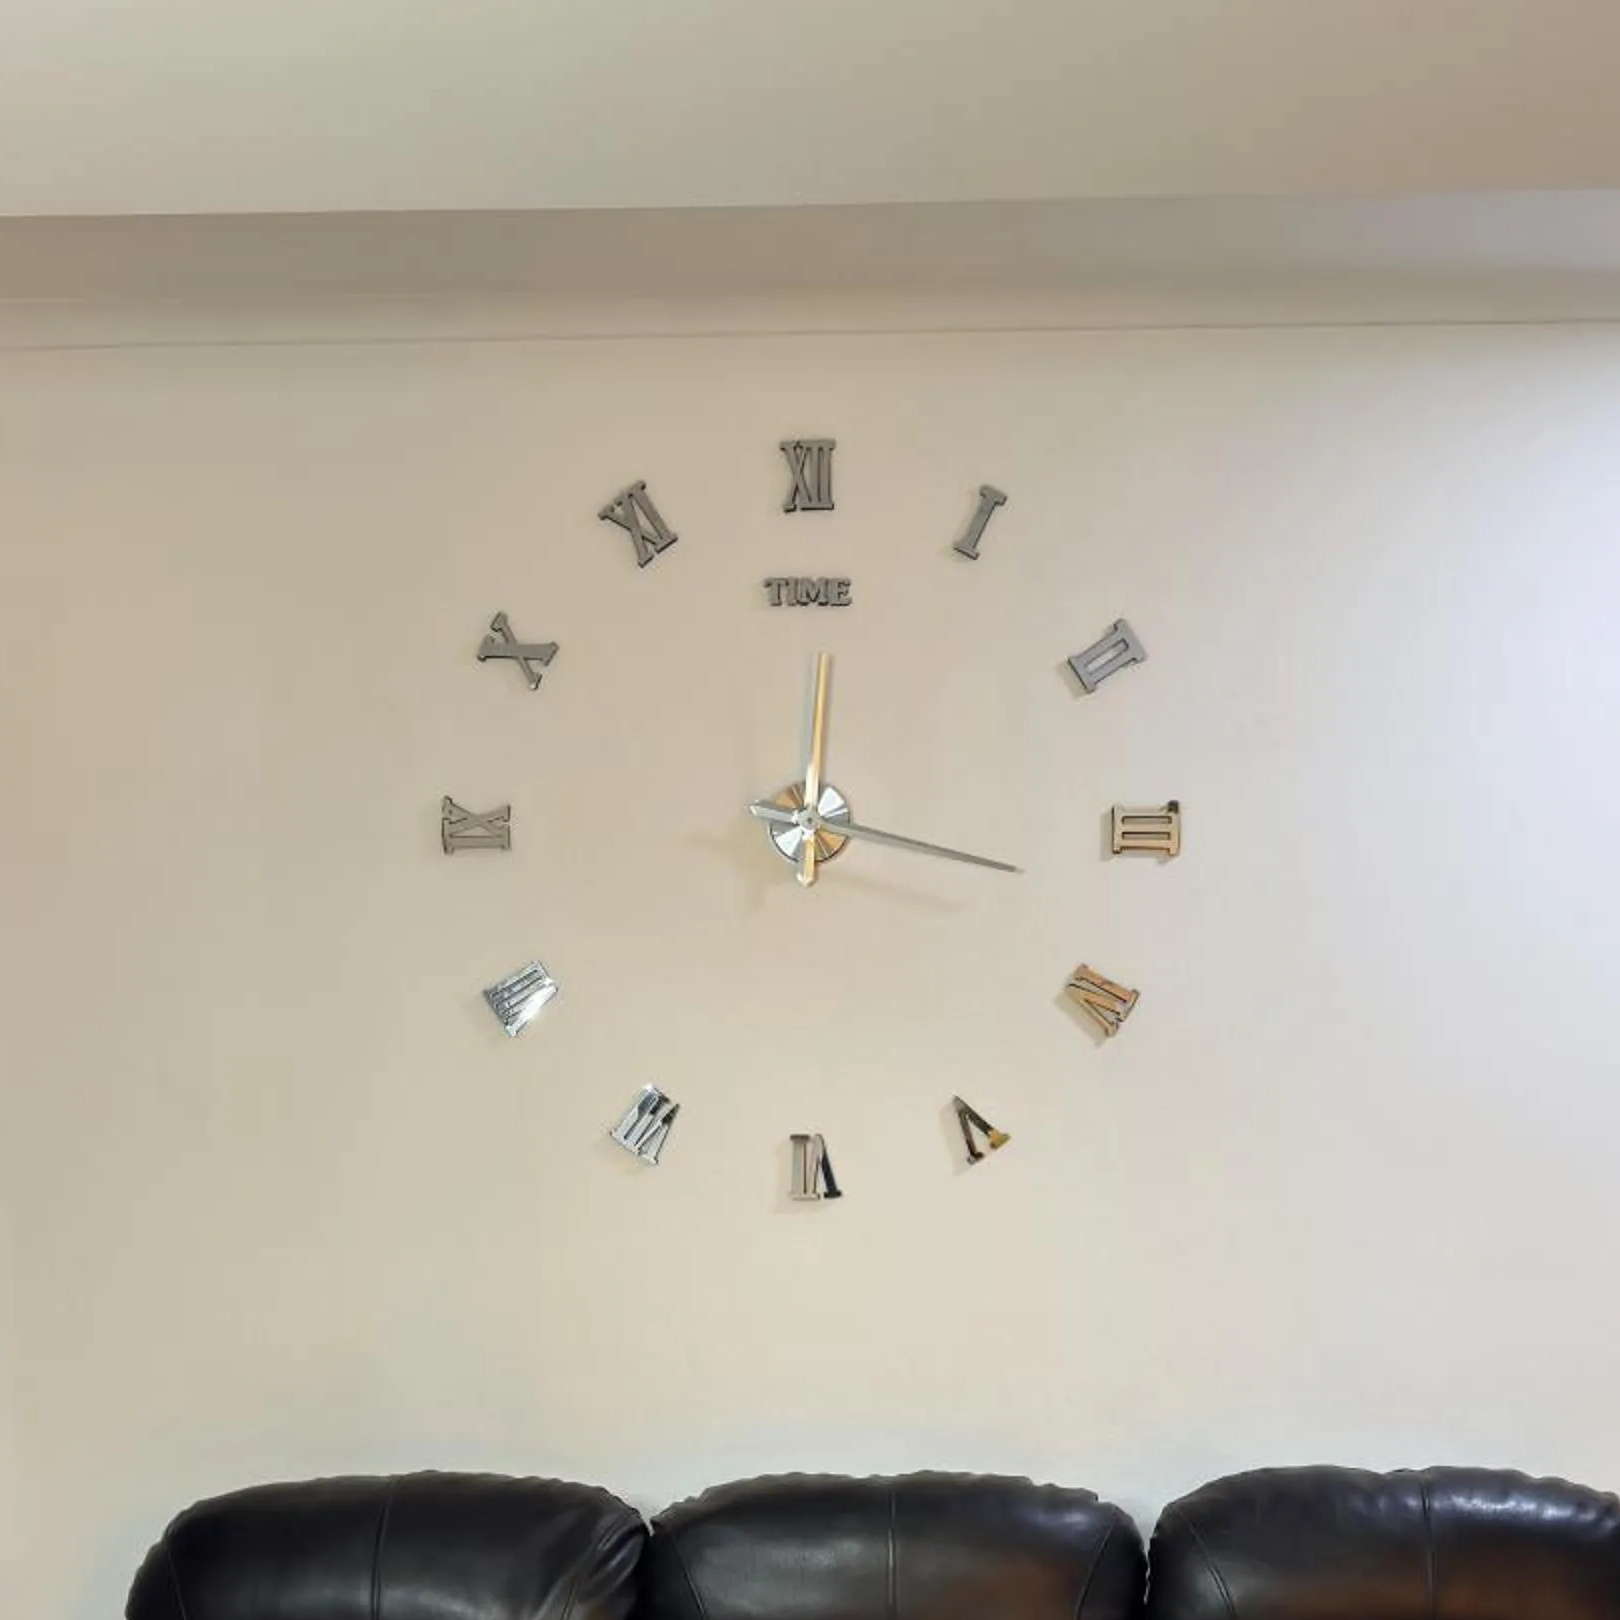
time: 12:16
